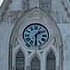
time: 1:30
